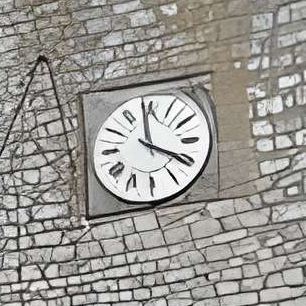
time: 3:58
